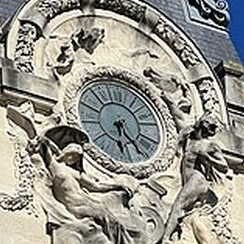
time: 6:23
